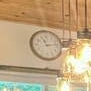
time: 11:13
